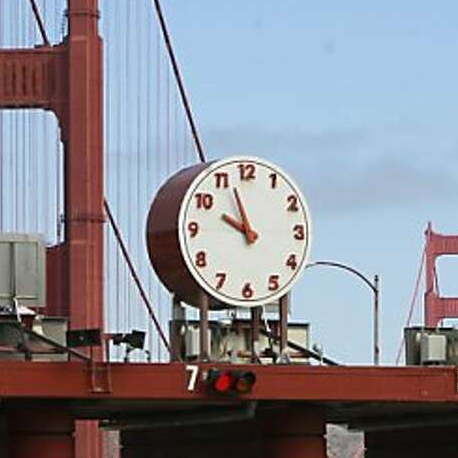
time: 9:56
